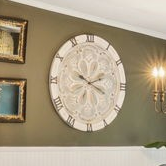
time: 2:18
